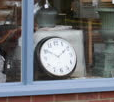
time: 1:50
